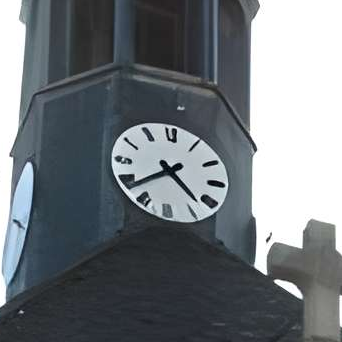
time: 4:38
